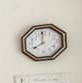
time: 7:59
